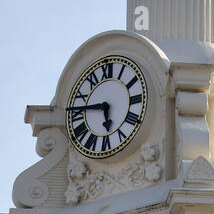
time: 5:46
